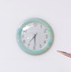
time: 7:29
